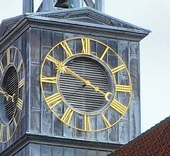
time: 3:50
